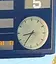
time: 8:35
